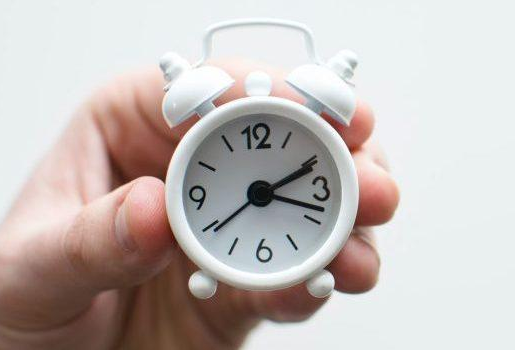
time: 2:18
